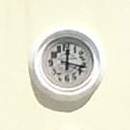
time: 12:17
